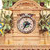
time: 2:35
